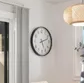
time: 2:25
